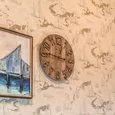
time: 12:46
